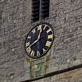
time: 12:40
